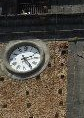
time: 2:24
